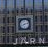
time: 8:12
